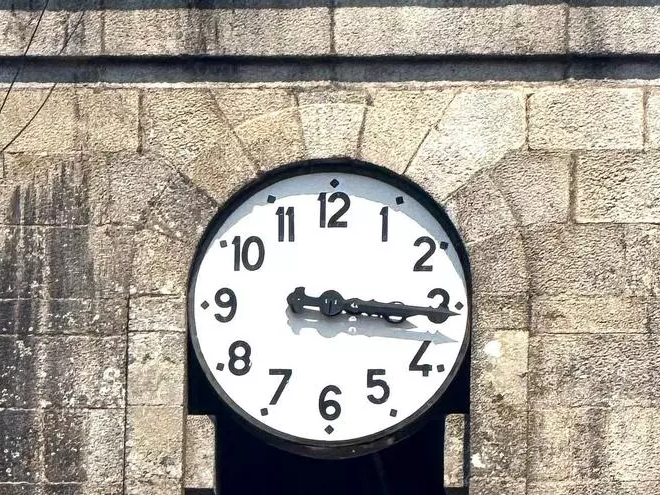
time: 3:15
